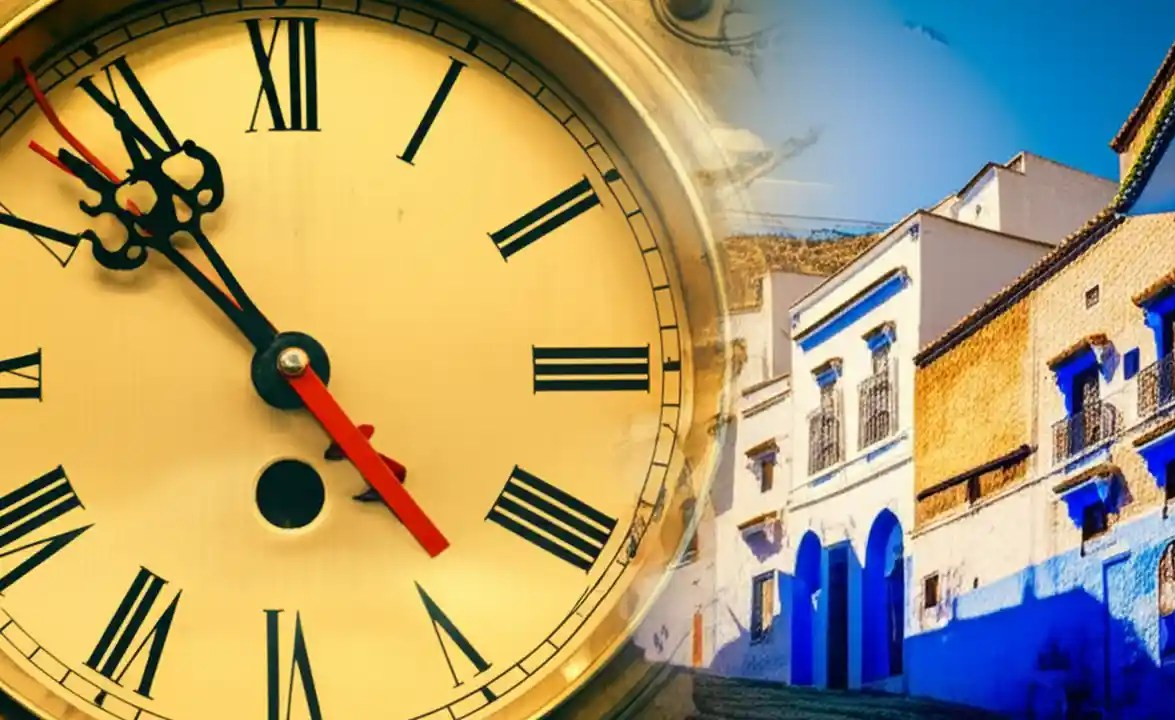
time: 4:52
